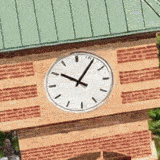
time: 10:05
